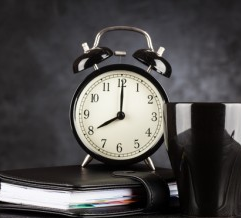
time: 8:00
